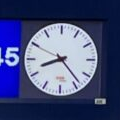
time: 8:23
